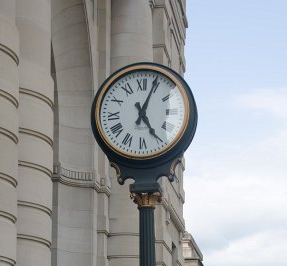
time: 5:04
